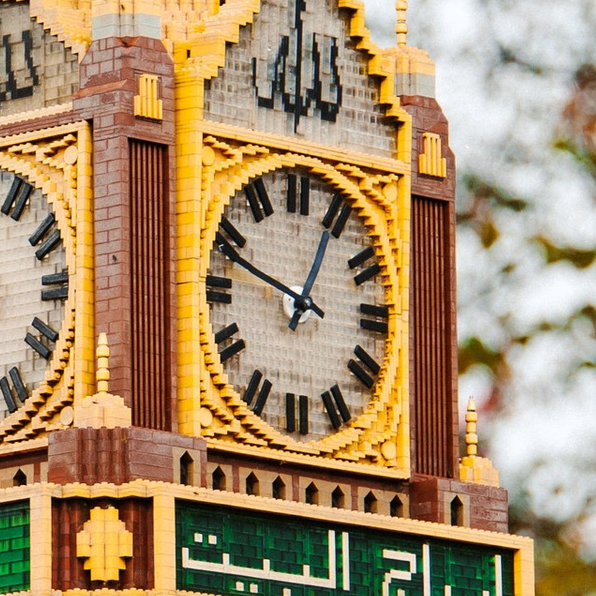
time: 12:48
